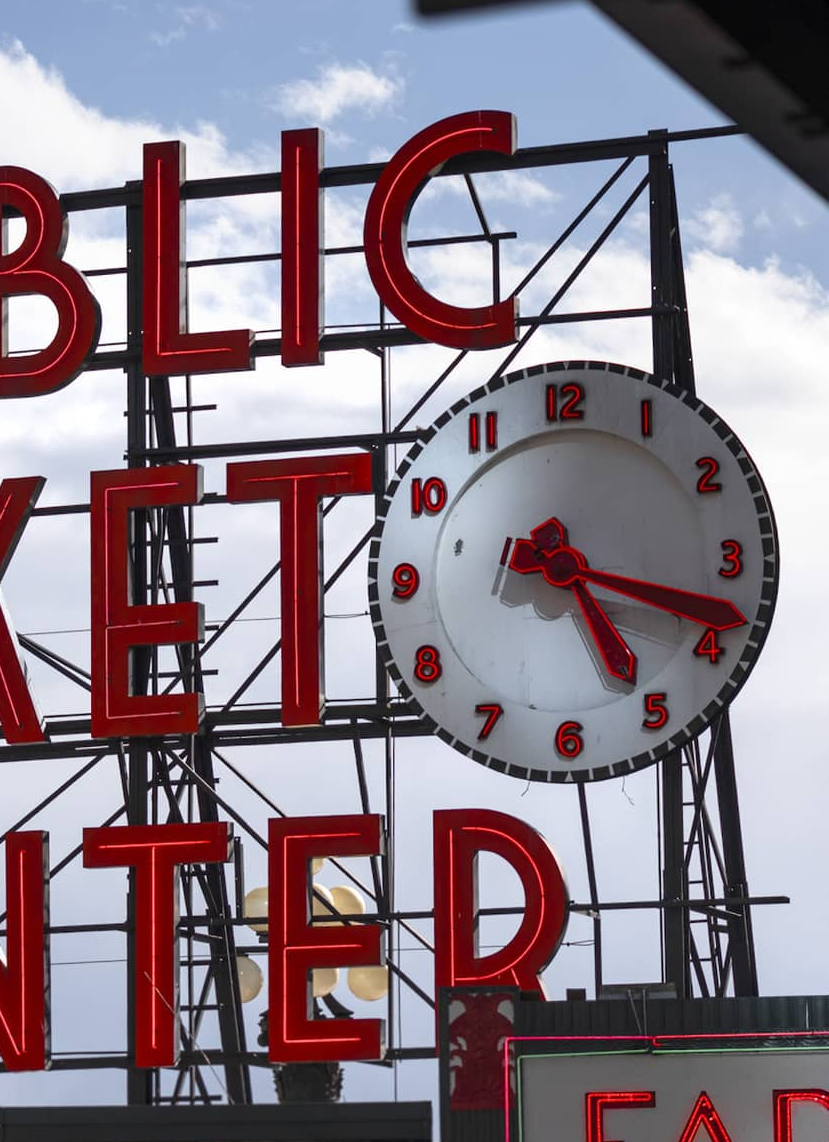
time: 5:18
